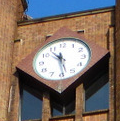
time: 10:28
